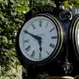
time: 5:49
